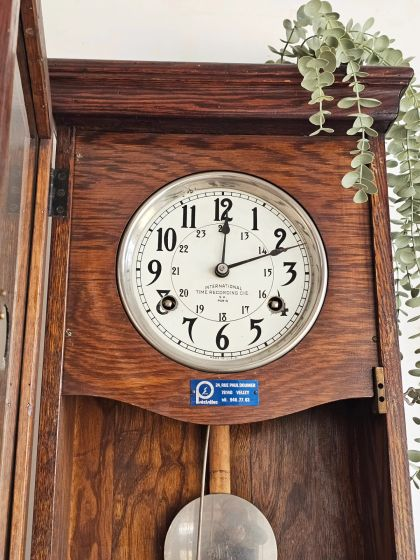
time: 12:11
